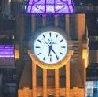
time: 6:23
